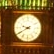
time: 9:40
